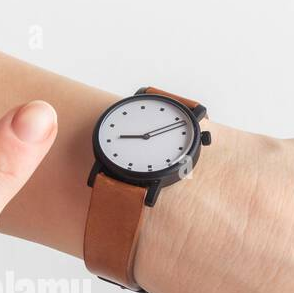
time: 9:11
